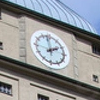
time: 1:57
